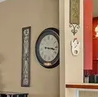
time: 3:17
